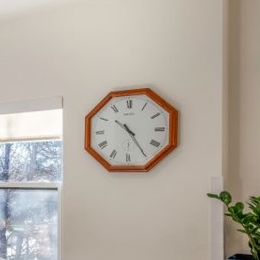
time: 10:24
